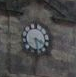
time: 3:28
